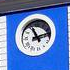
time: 11:12
